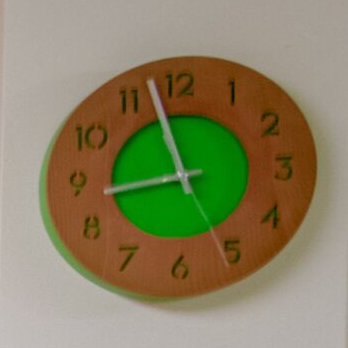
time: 8:57
